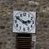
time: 2:50
